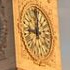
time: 9:01
